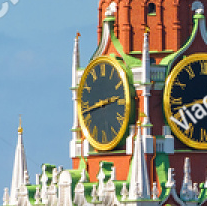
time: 2:42
